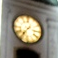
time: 7:36
